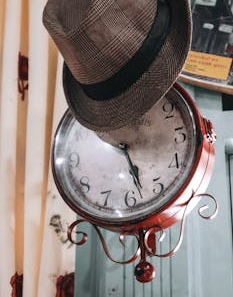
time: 5:28
